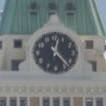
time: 12:23
